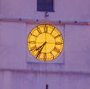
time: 7:34
